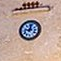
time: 9:02
